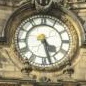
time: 4:27
